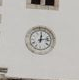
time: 12:13
